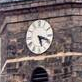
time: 5:18
